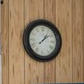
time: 1:08
